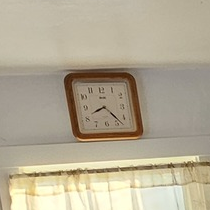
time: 8:22
